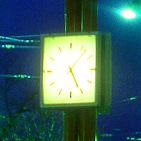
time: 5:06
